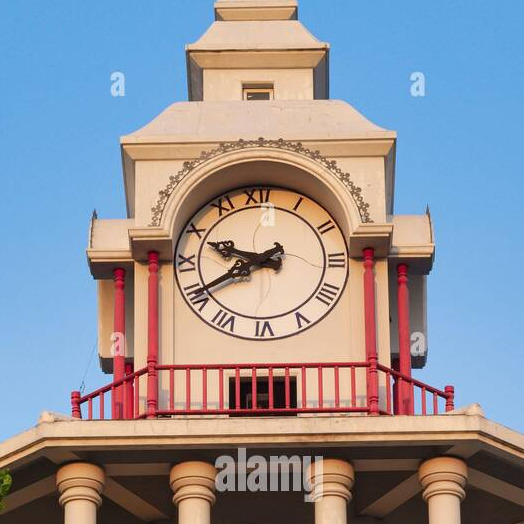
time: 9:40
